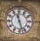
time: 11:27
